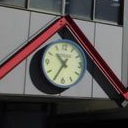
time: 10:34
